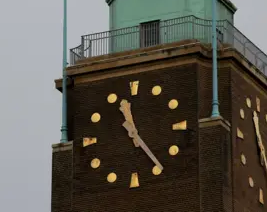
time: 11:24
